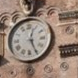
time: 12:25
